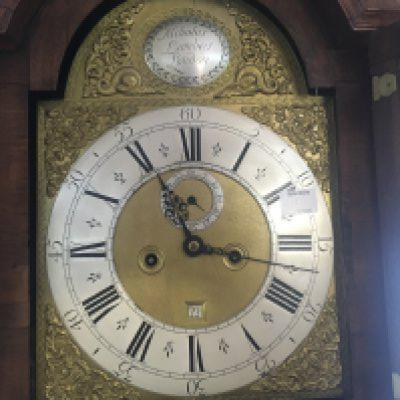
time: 11:17
